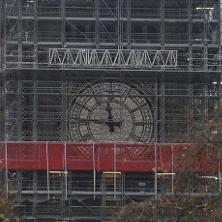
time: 11:46
